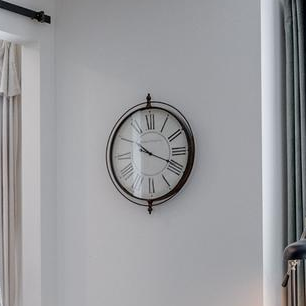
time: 10:18
